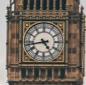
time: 4:43
